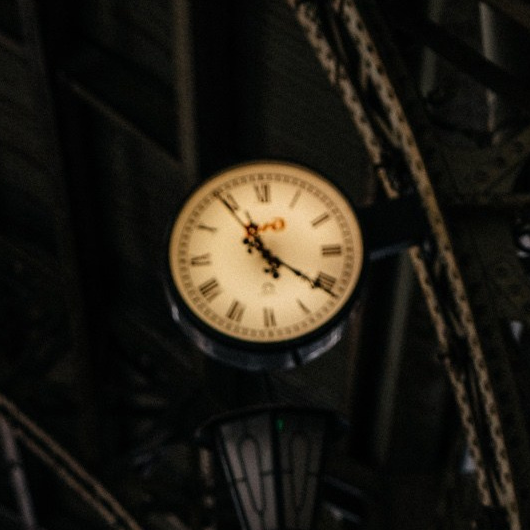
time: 11:20
